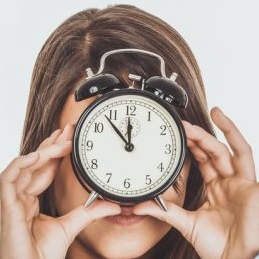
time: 11:53
